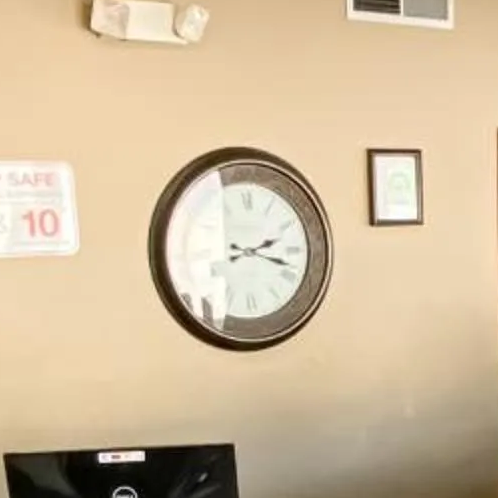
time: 2:18
